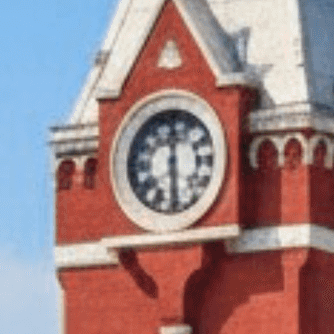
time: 6:00
